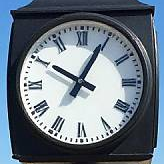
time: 10:04
